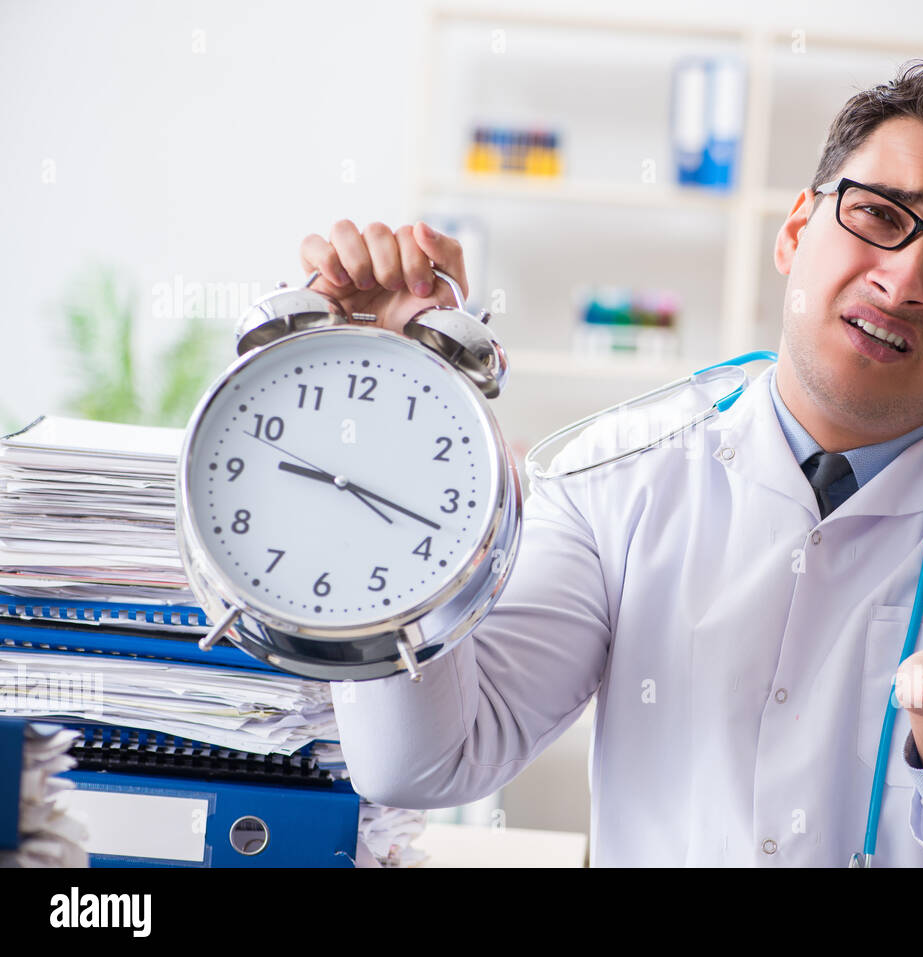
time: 9:17
